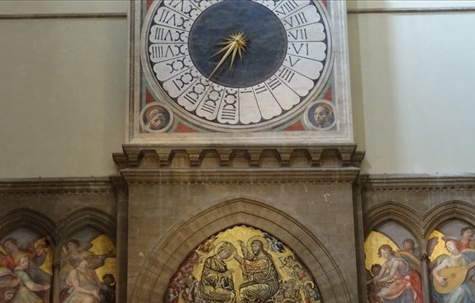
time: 7:34
